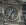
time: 1:33
